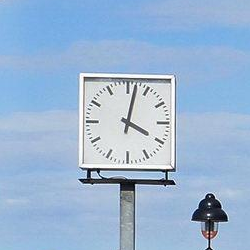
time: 4:02
